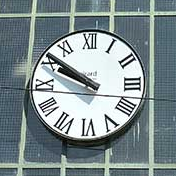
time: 9:50
